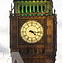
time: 4:16
